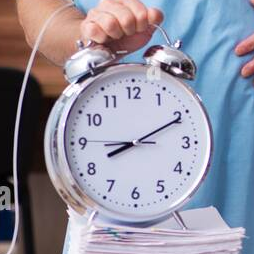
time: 8:10
